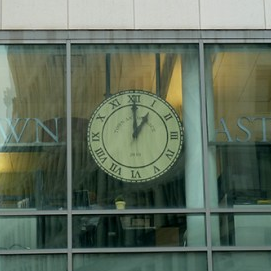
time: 1:00
